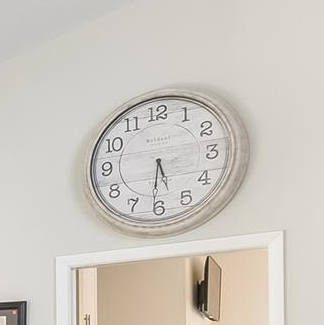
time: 5:31
